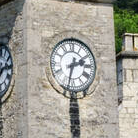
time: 2:32
